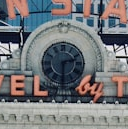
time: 2:30
